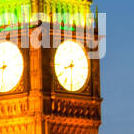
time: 8:30
